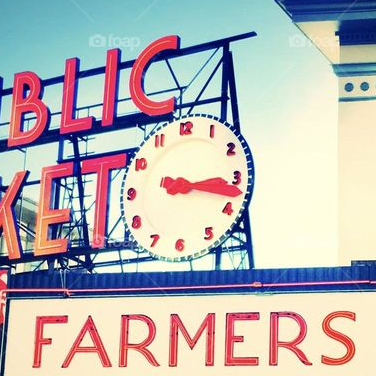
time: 3:17
